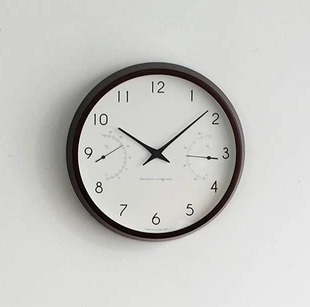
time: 10:08
